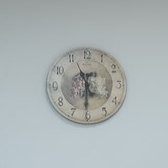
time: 11:30
